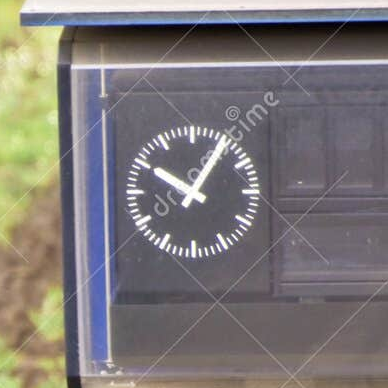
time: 10:05
